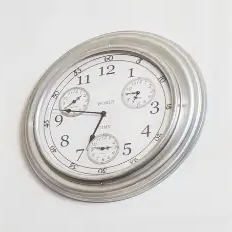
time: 6:47
